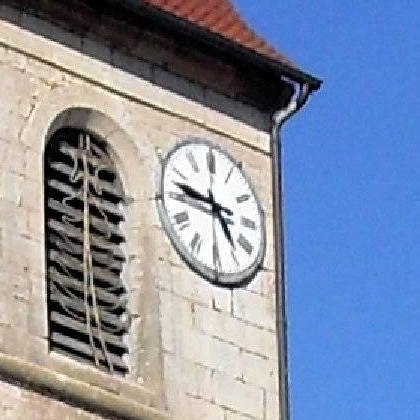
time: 4:46
